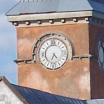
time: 4:33
